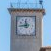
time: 11:44
